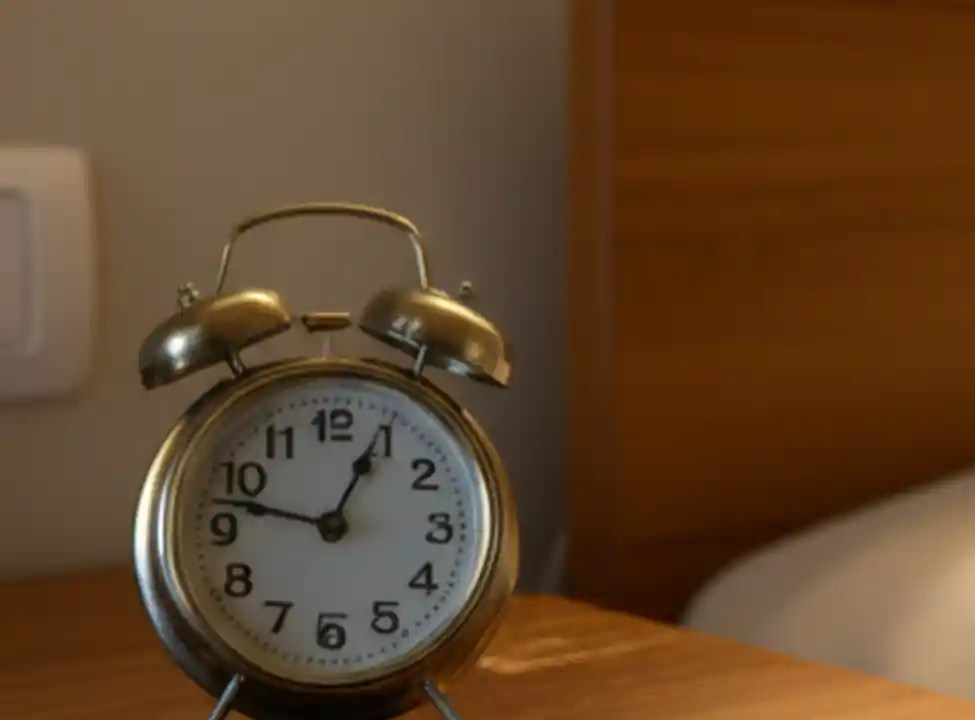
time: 12:47
